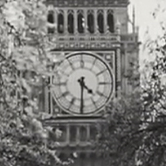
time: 4:30
